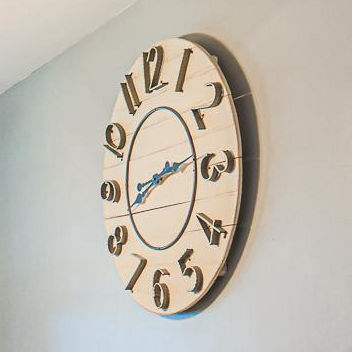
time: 2:42
